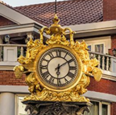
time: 6:10
